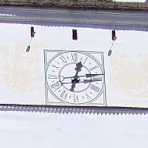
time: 12:33
